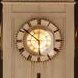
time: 5:51
